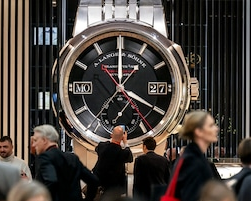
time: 4:00
